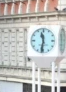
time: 11:31
